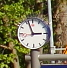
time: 2:56
